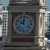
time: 11:50
